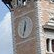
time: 6:32
